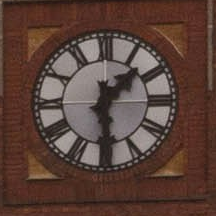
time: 1:29
